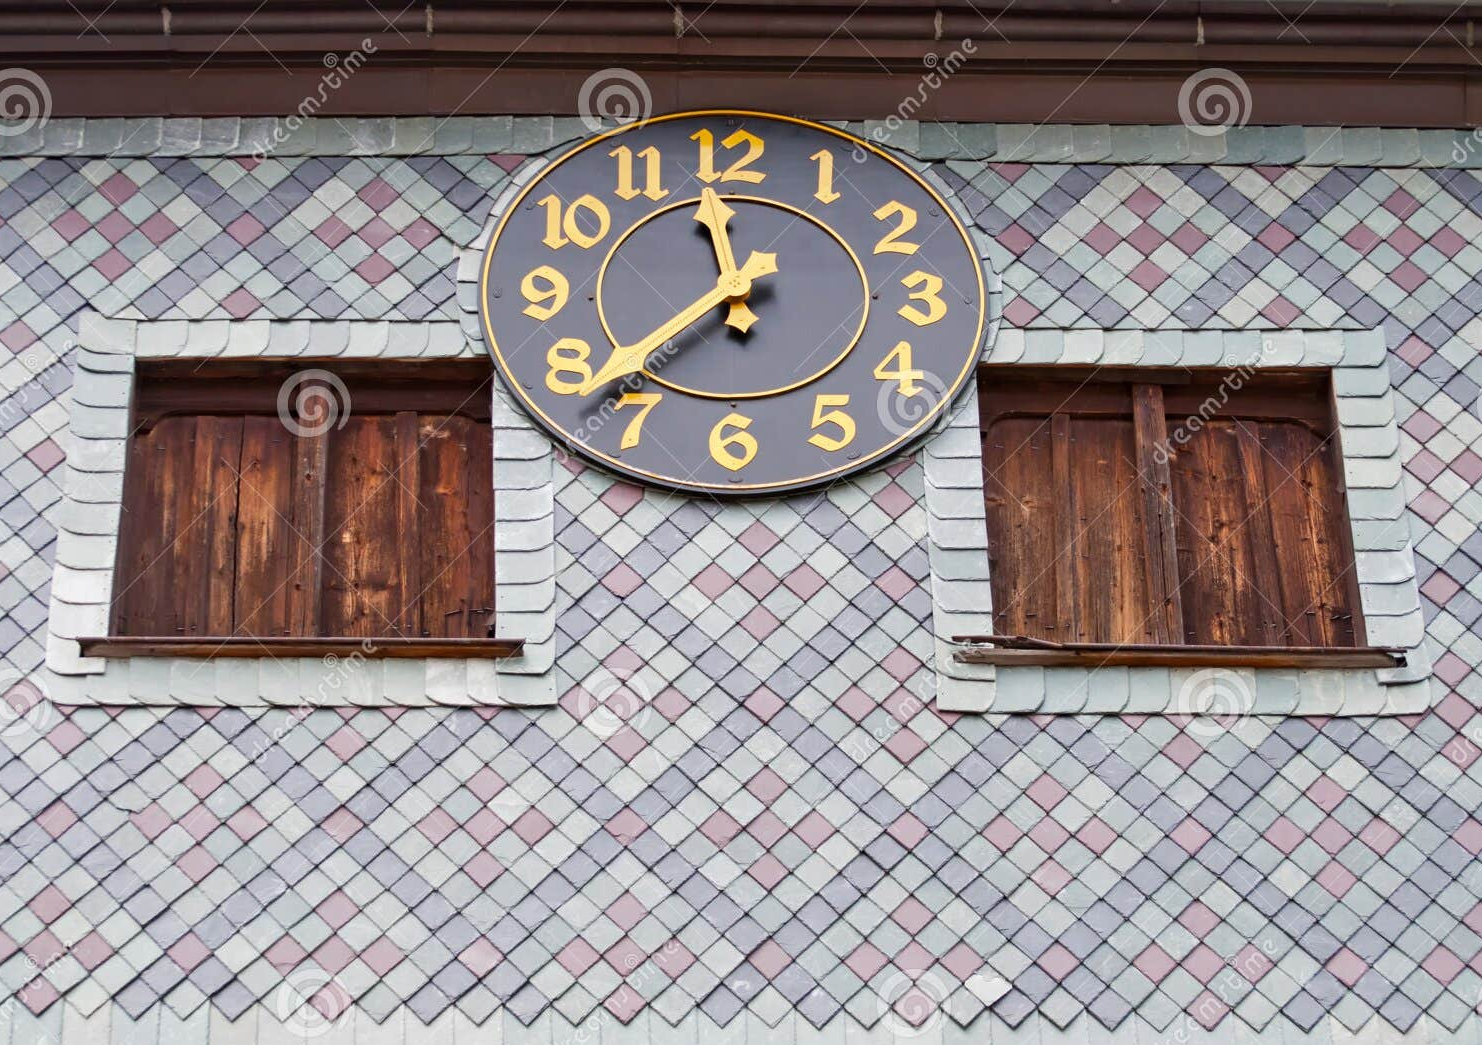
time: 11:37
